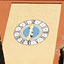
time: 5:59
